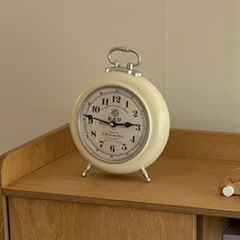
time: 2:46
